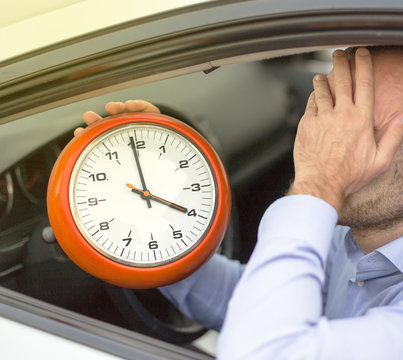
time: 3:59
